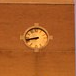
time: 8:42
